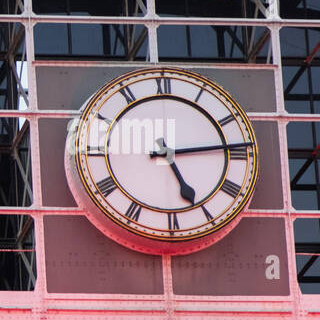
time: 5:13
